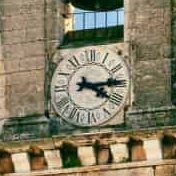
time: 4:14
